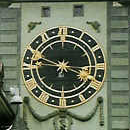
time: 3:48
